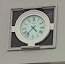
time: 4:36
